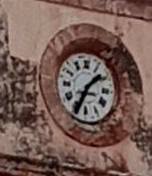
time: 1:34
